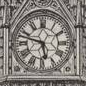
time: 5:47
